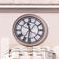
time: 11:31
